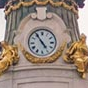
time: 4:54
